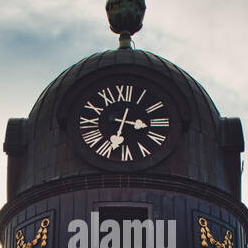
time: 3:32
